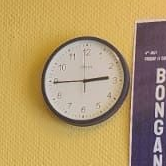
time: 2:44
